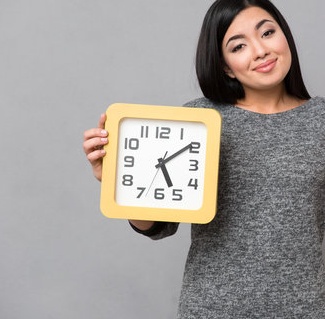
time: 5:09
